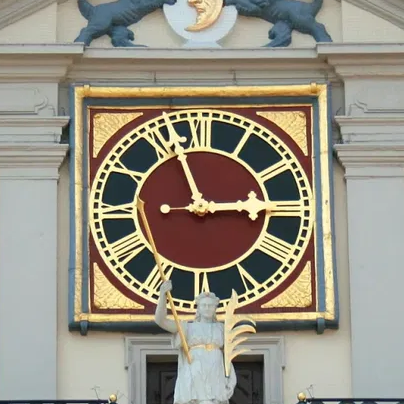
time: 2:56
